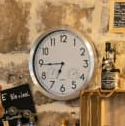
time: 6:44
